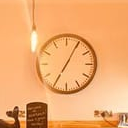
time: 7:04
